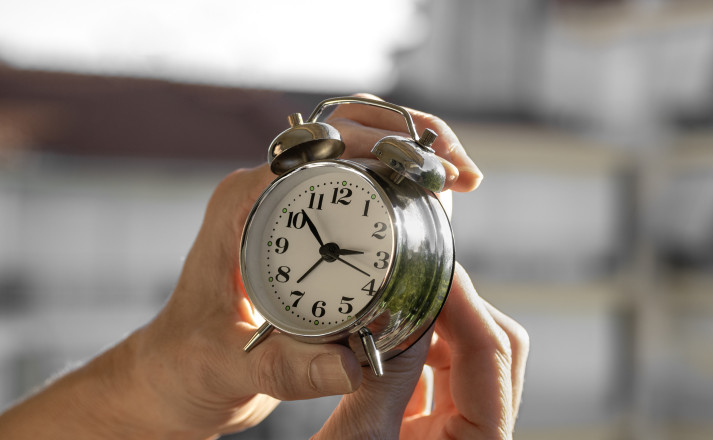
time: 2:52
